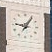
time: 9:05
